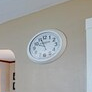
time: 9:56
